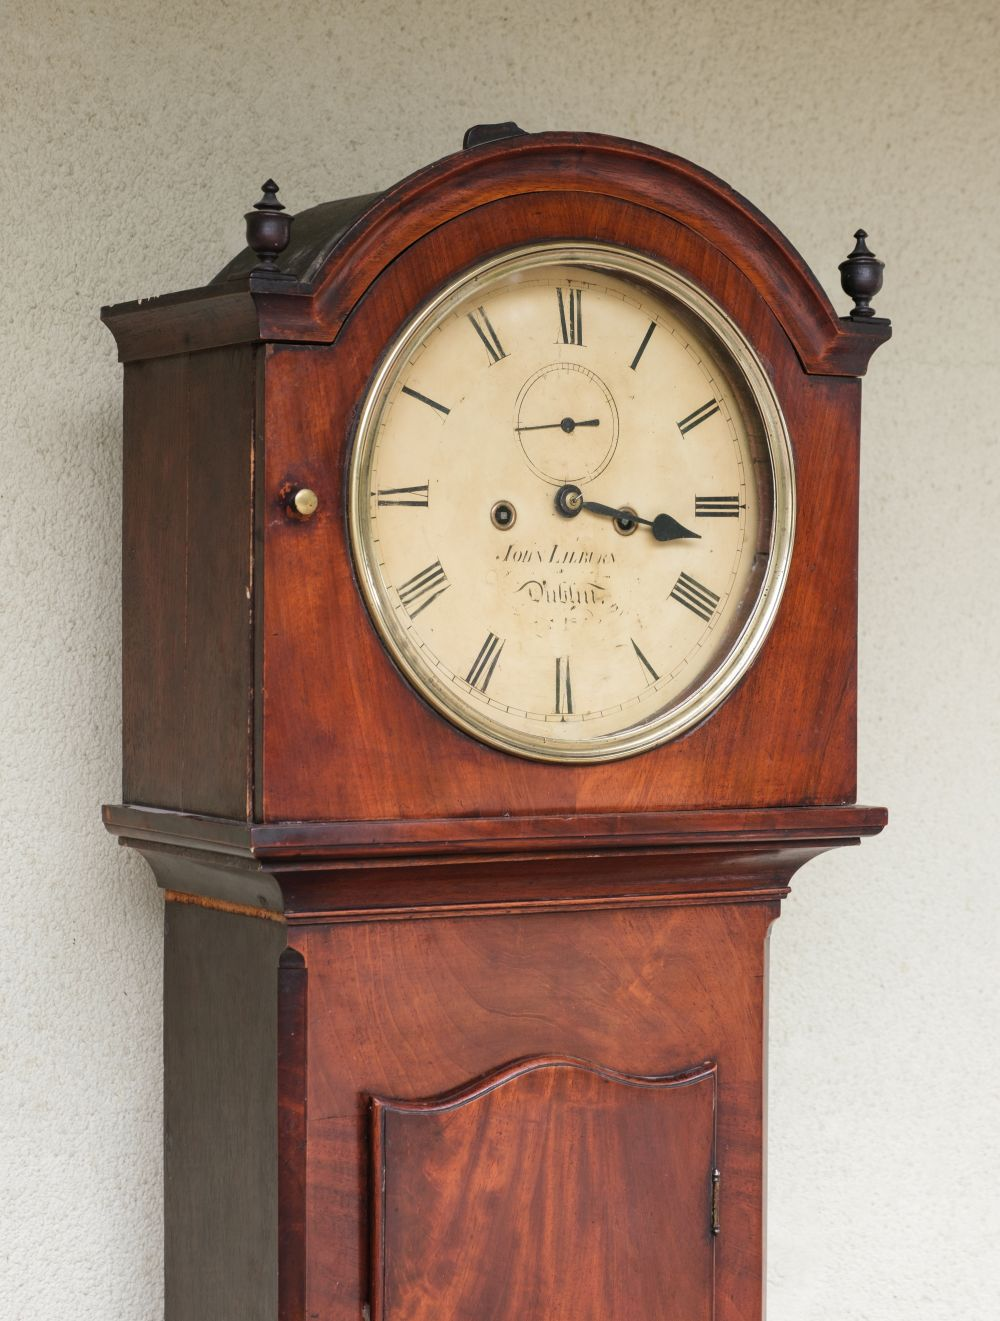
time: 3:16
